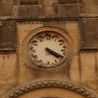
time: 4:20
